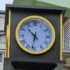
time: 10:32
